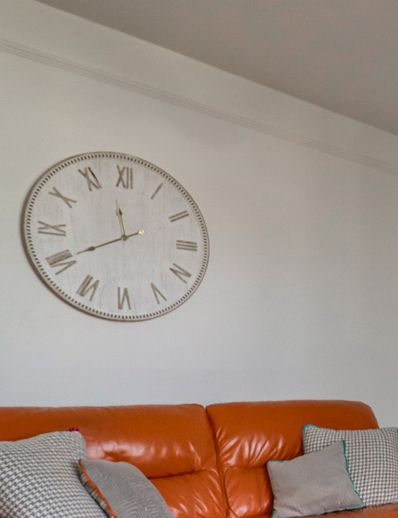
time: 11:40
